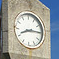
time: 8:14
